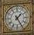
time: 1:24
